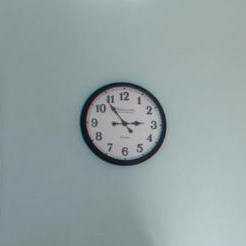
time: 2:53
